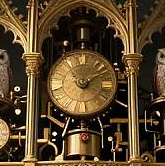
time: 11:08
